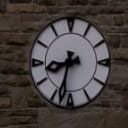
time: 8:32
